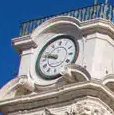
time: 9:47
